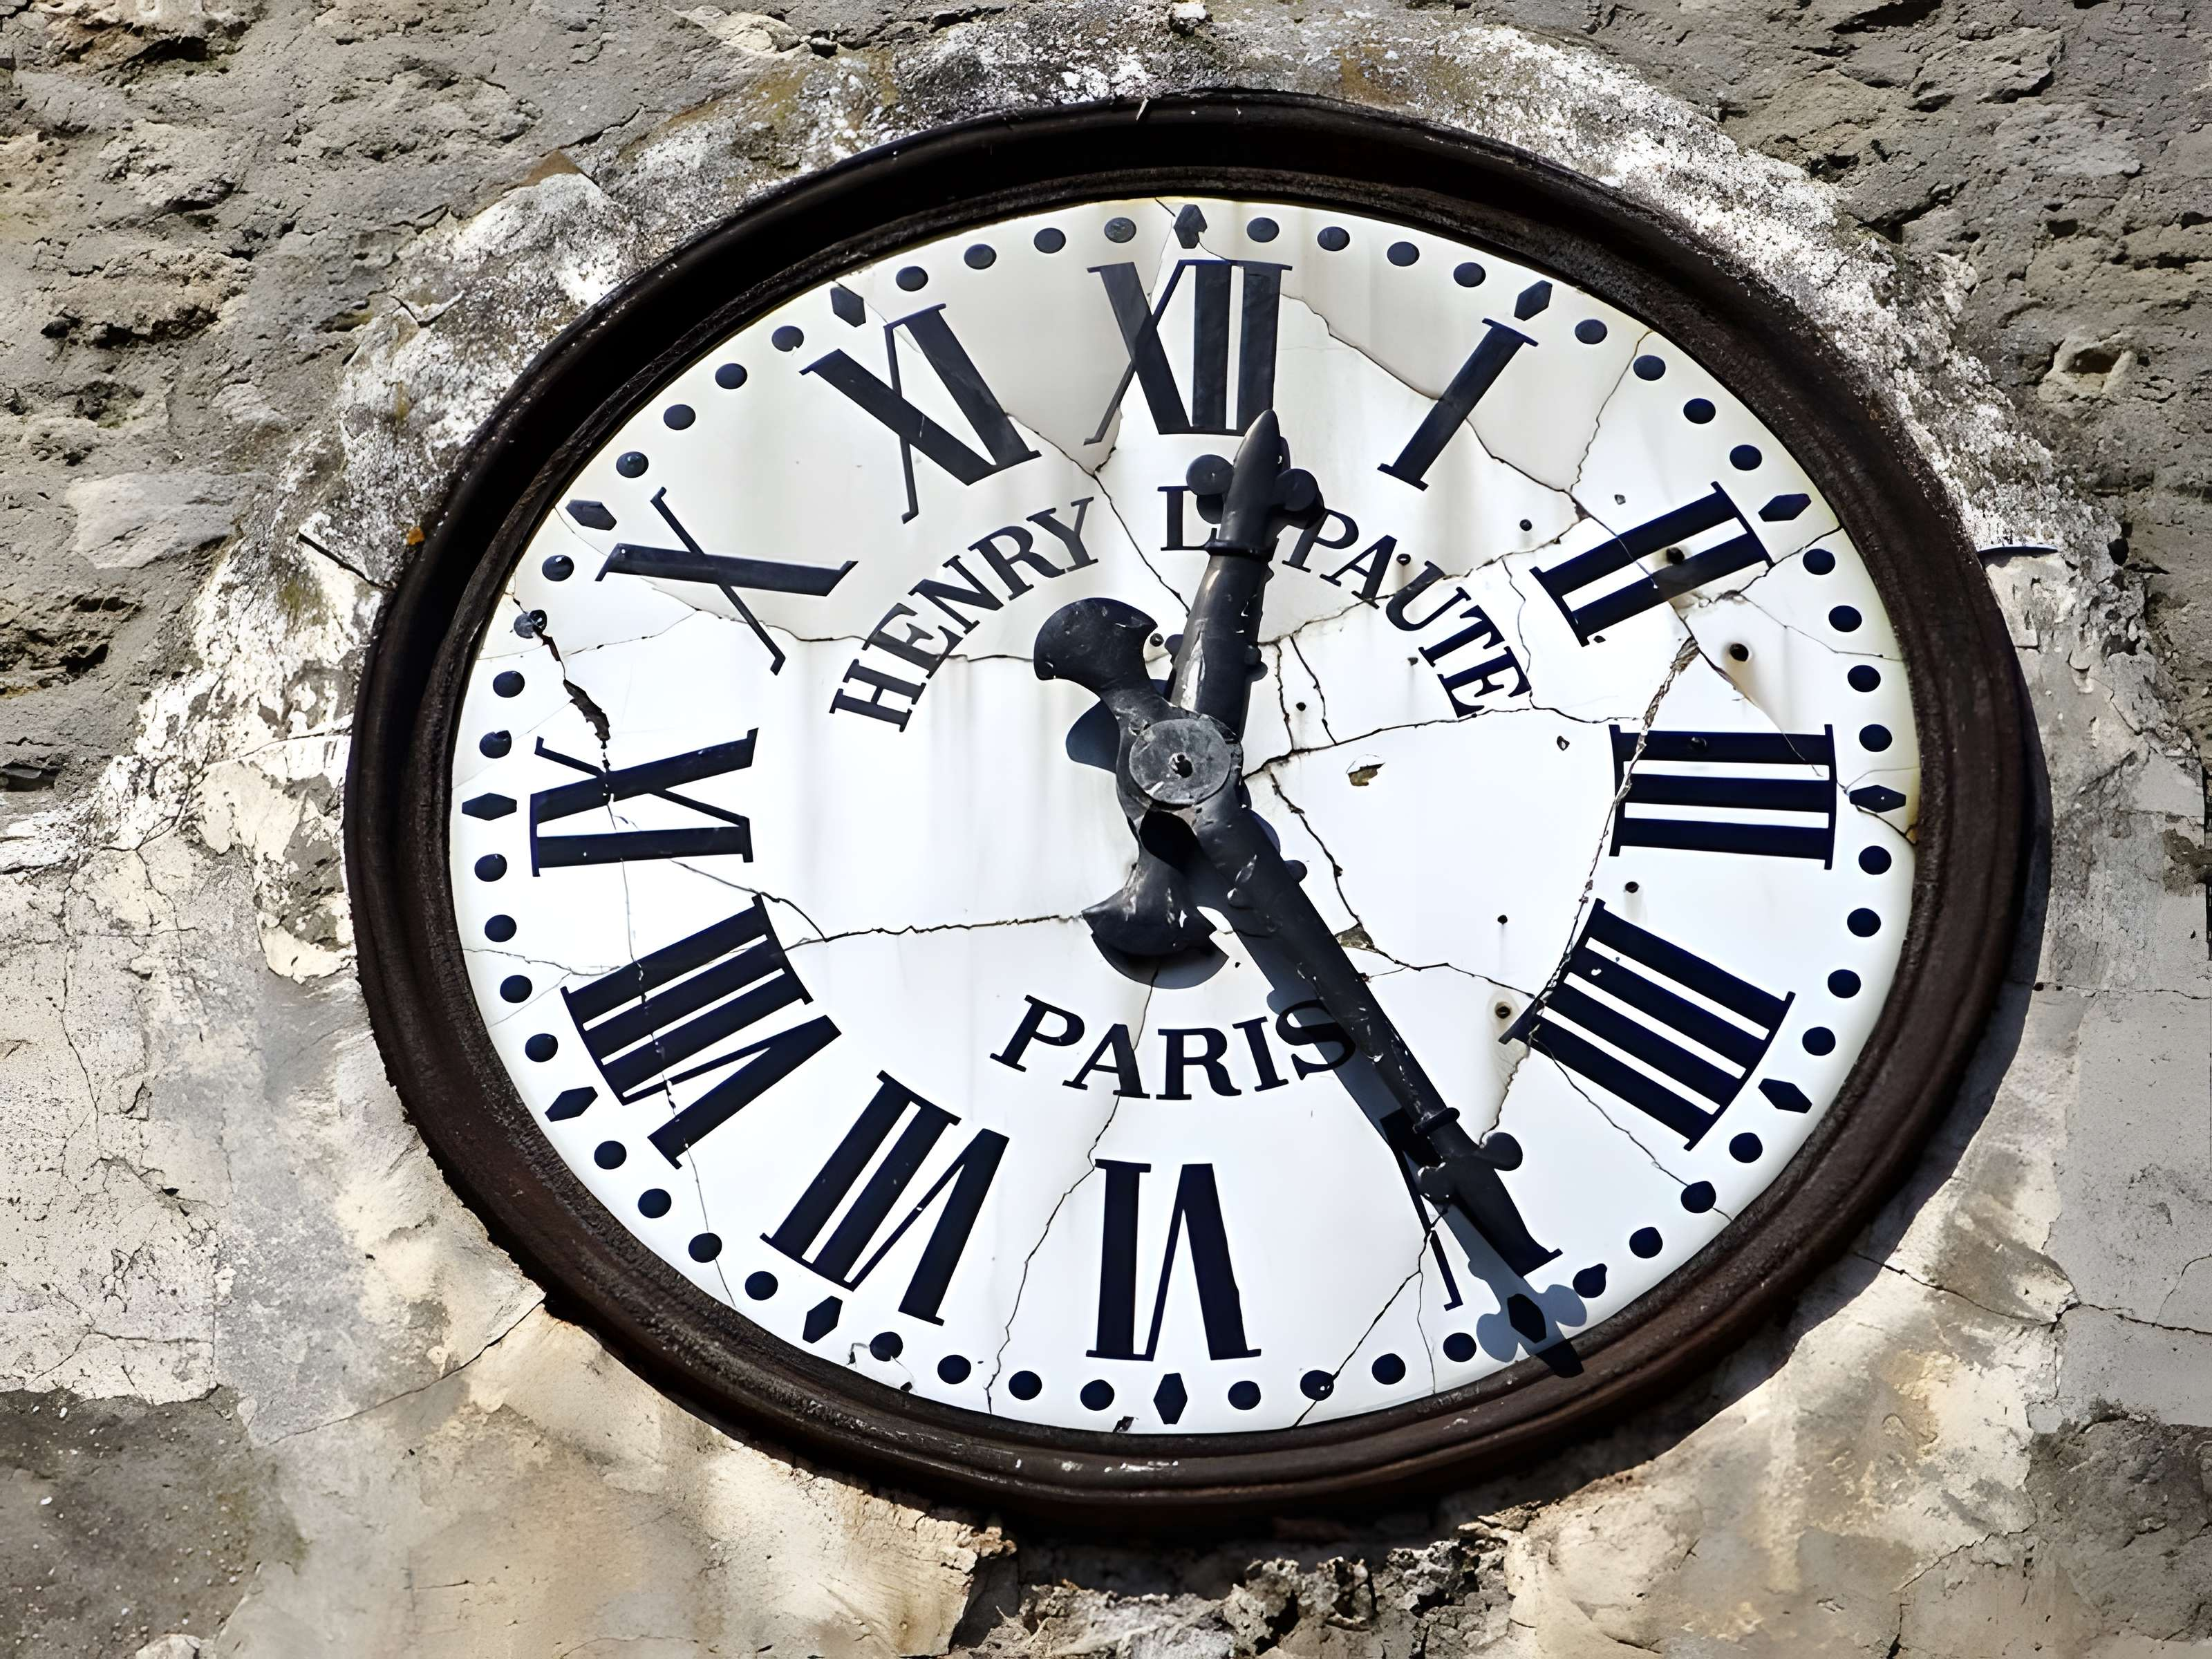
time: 12:24
